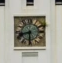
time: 8:30
